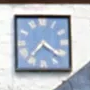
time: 7:21
